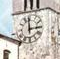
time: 2:59
